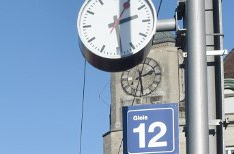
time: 2:29
